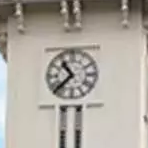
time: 10:37
